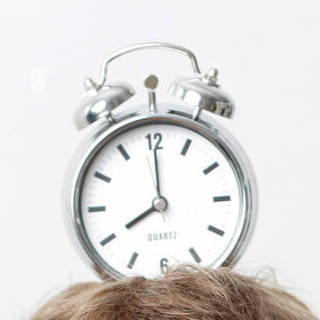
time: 8:00
